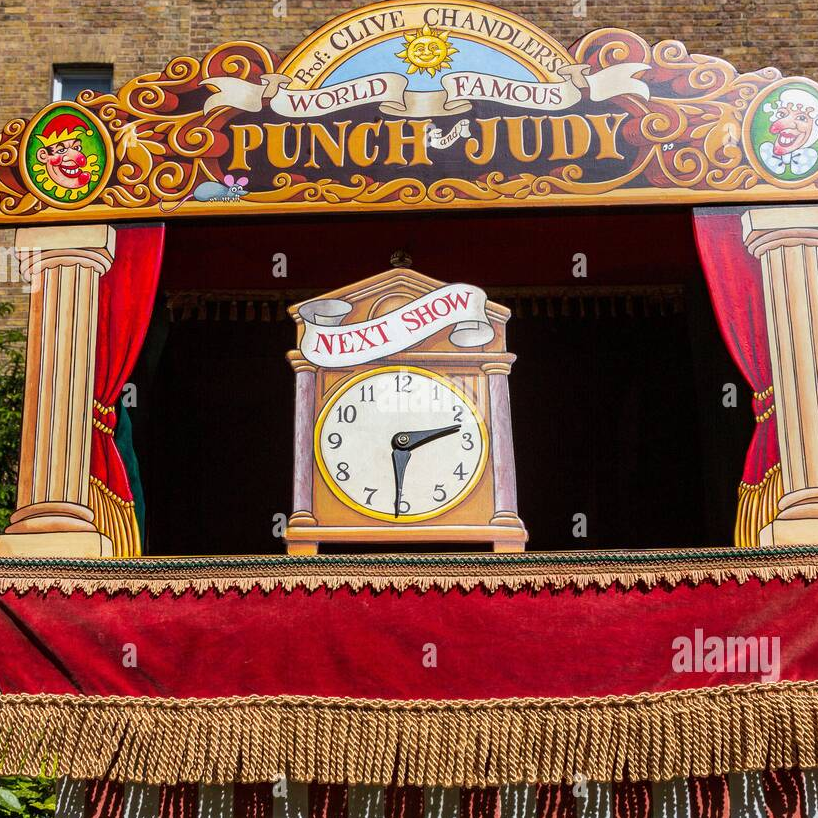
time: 2:30
